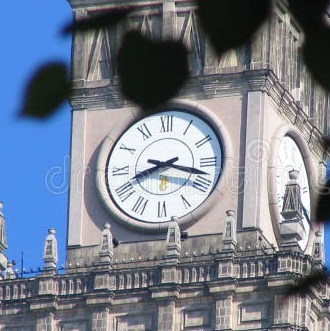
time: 8:17
